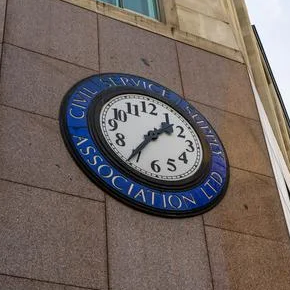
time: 1:35
